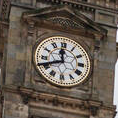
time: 11:41
